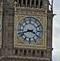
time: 3:42
